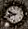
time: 9:42
